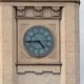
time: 4:44
